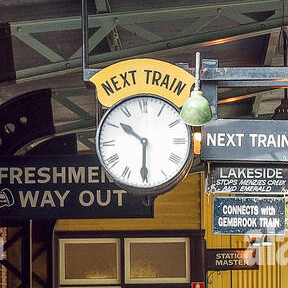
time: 10:30
